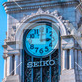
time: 3:00
